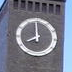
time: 7:59
